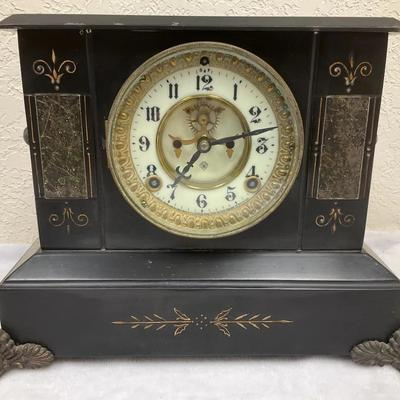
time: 7:12
